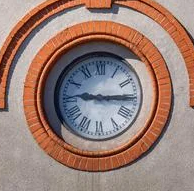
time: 9:15
